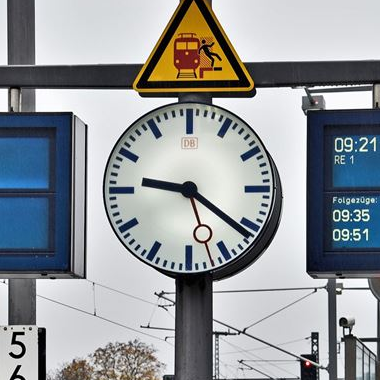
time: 9:21
